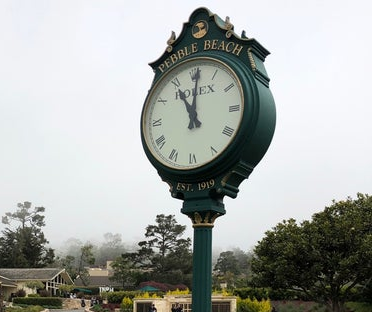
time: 11:00
